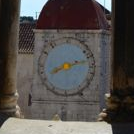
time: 8:12
